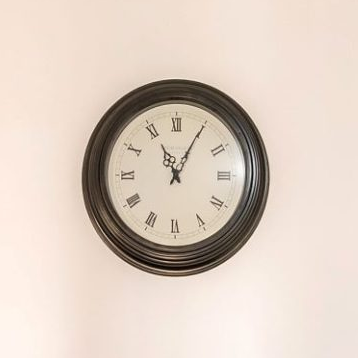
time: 11:04
